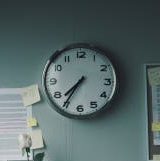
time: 7:35
